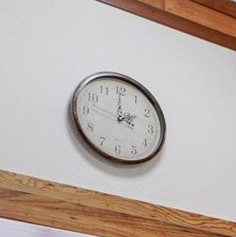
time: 2:00
